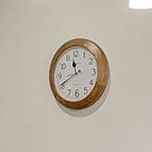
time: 11:40
